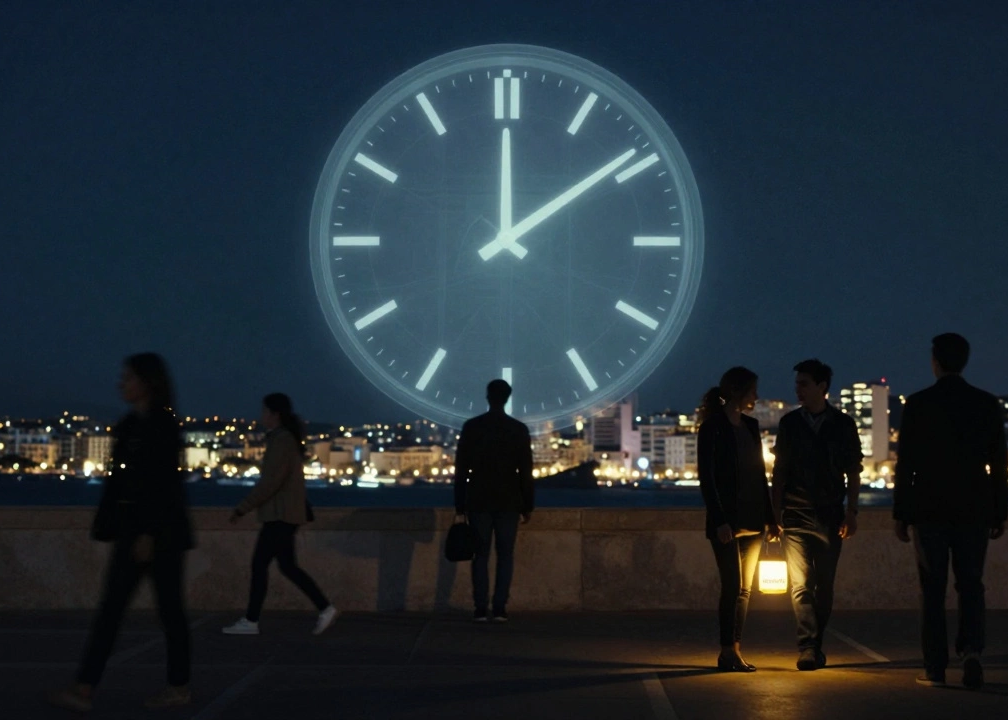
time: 12:09
